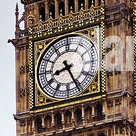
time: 8:26
